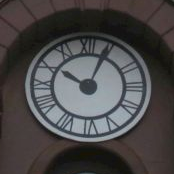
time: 10:04
